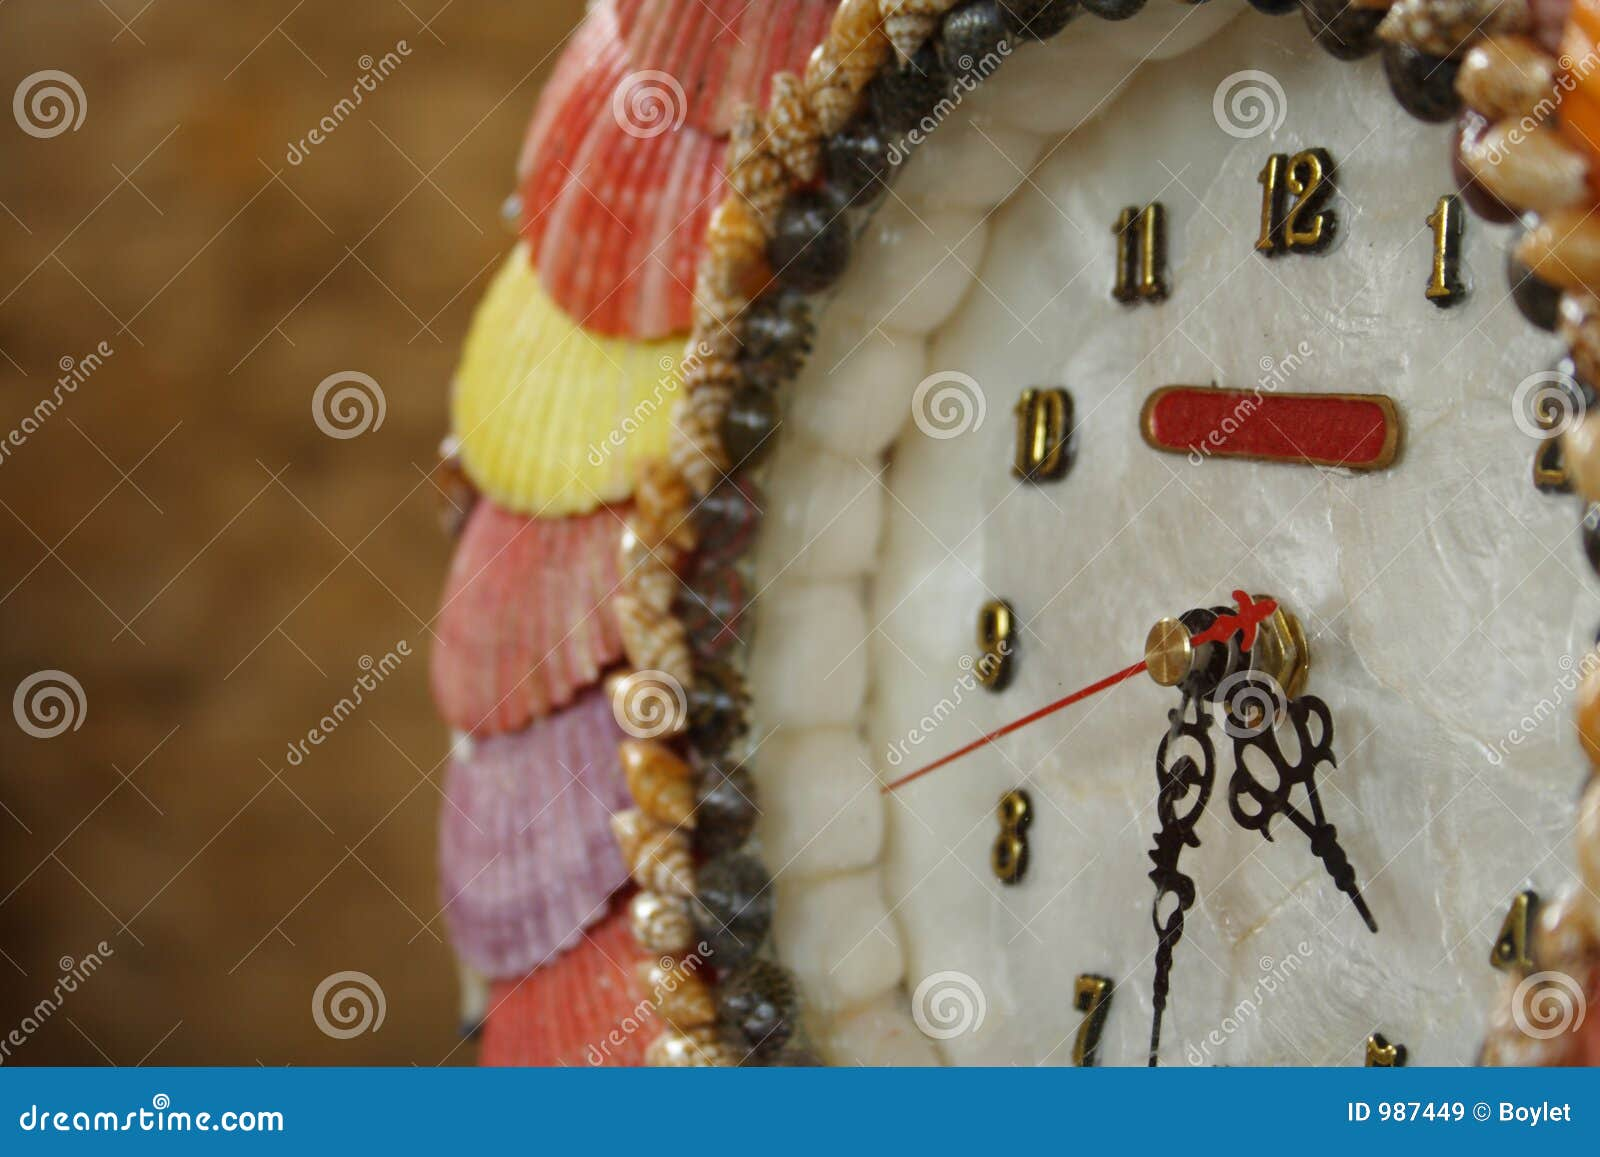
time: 4:32
